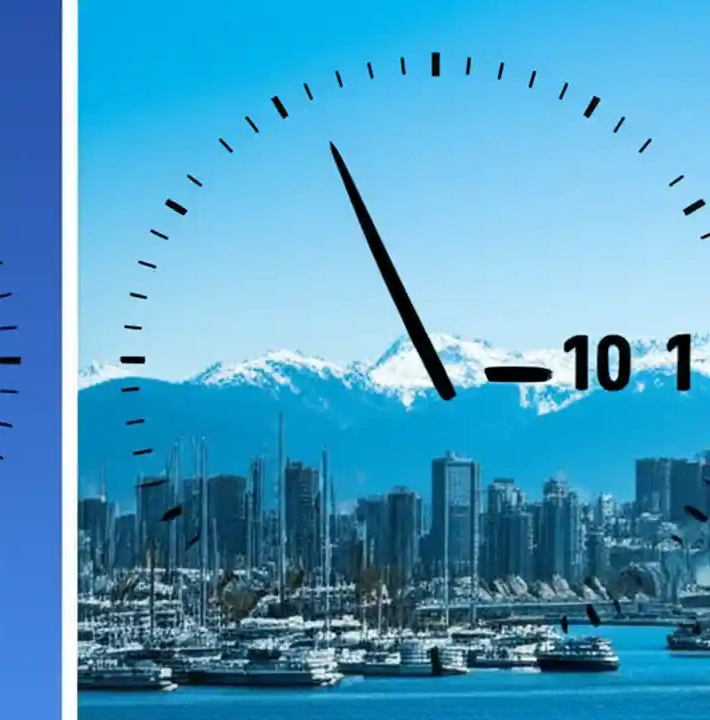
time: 2:55
